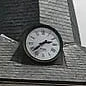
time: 2:38
